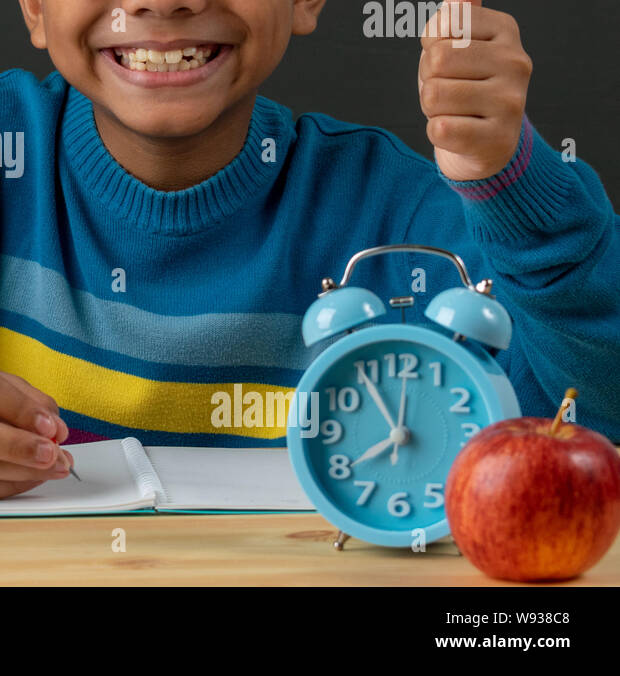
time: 7:54
